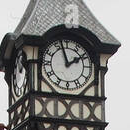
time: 1:57
